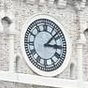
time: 3:07
